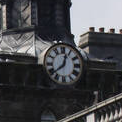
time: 12:38
